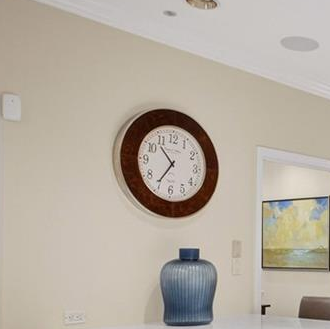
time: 10:35
